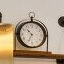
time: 10:34
